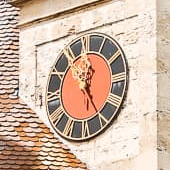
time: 12:24
